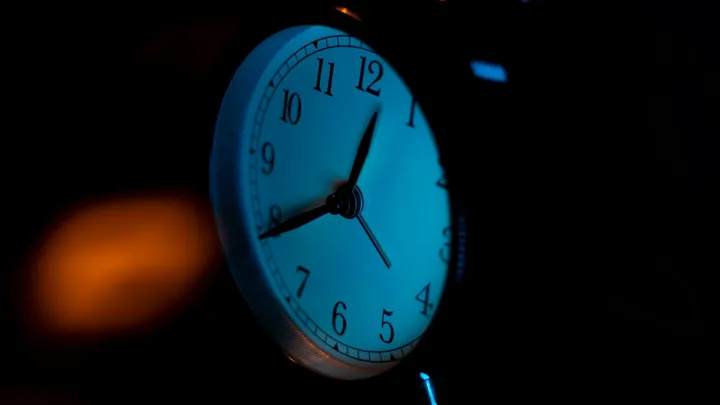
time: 12:39
